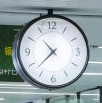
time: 10:37
